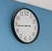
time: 8:43
